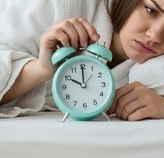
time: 10:00
